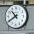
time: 10:39
